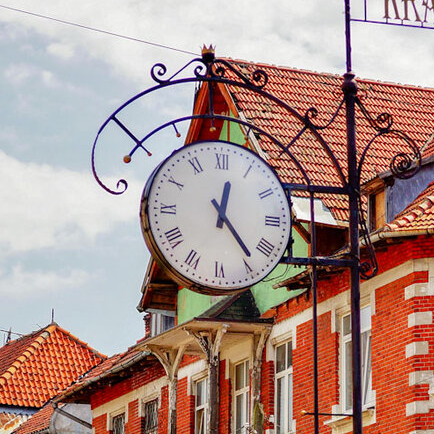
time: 12:23
